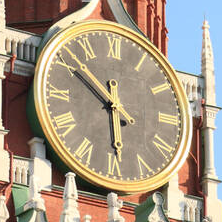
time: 5:50
